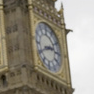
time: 2:40
